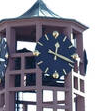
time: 12:17
